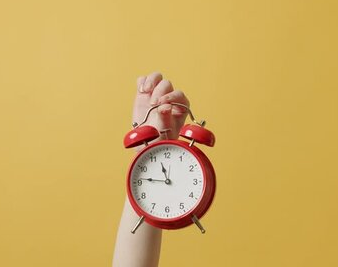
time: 11:46
